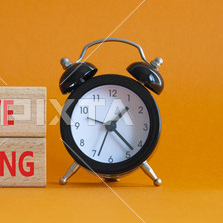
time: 1:22
